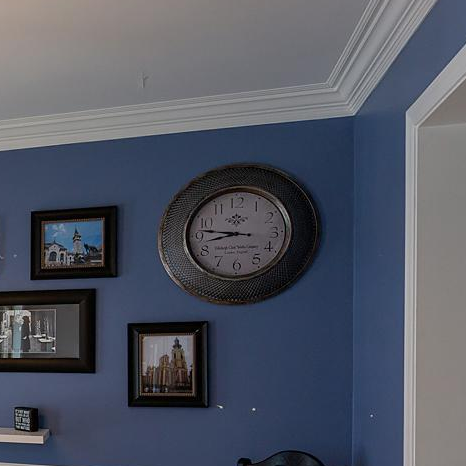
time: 8:46
